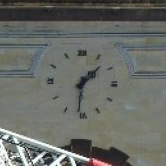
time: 1:31
